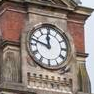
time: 11:47
